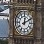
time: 12:10
